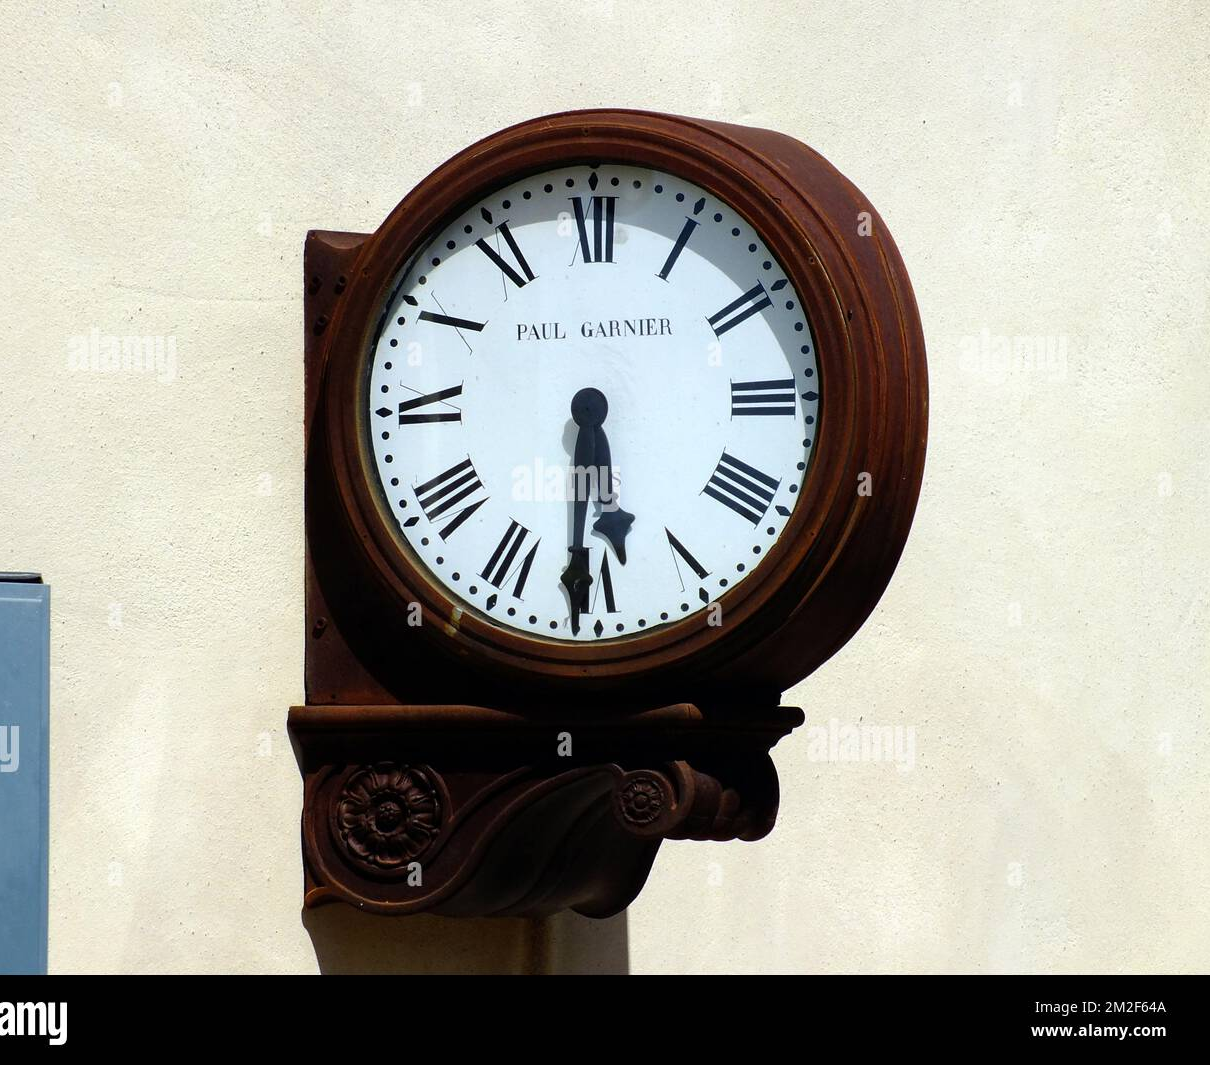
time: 5:30
